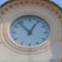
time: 12:53
